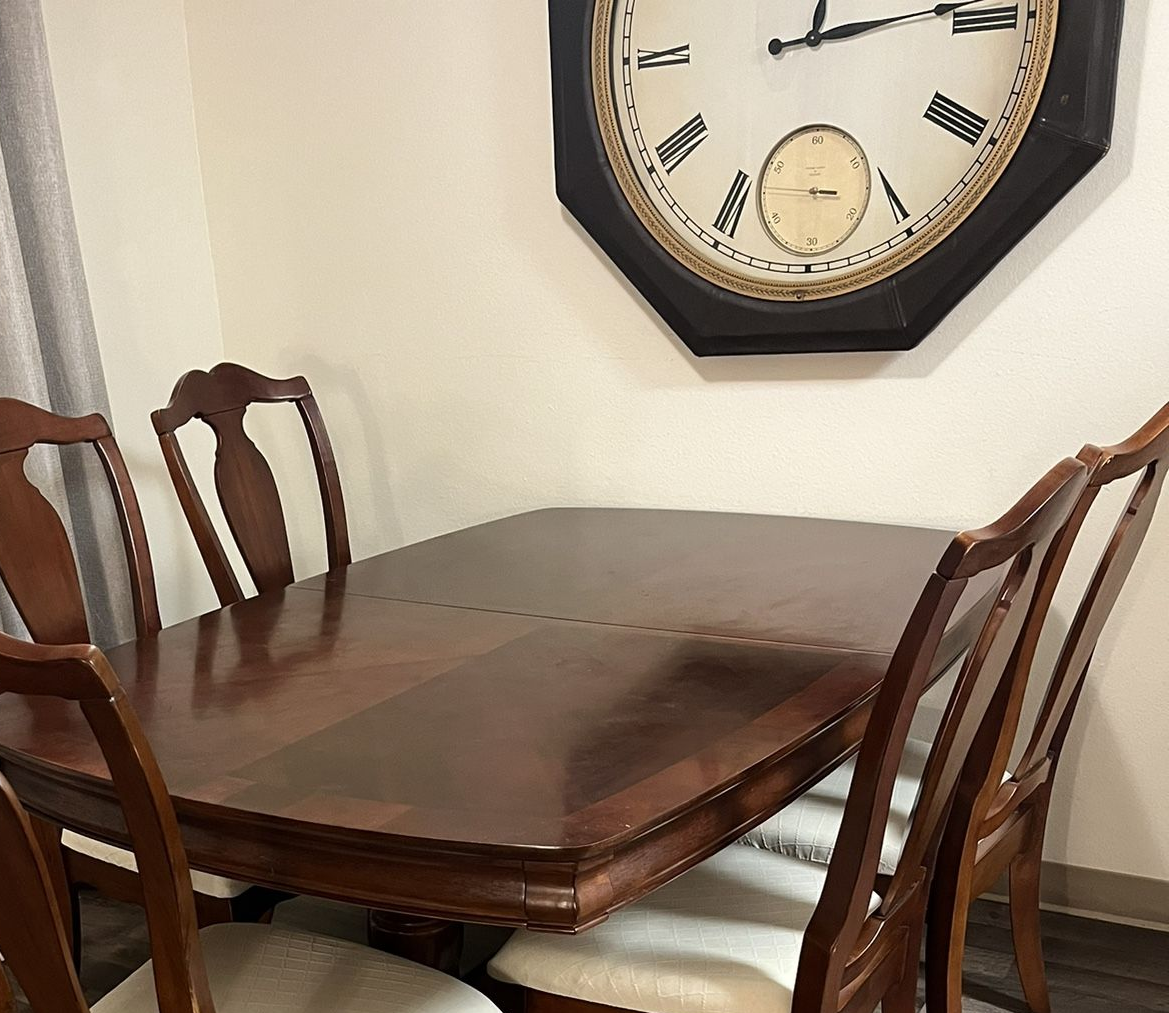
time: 12:13
